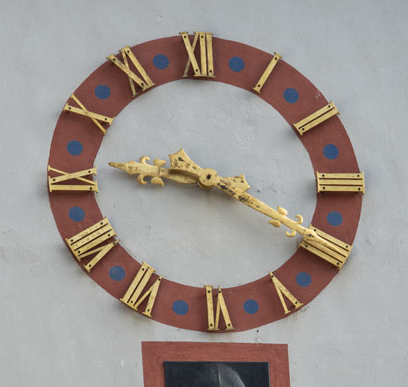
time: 9:20
